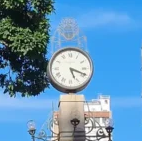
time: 5:18
